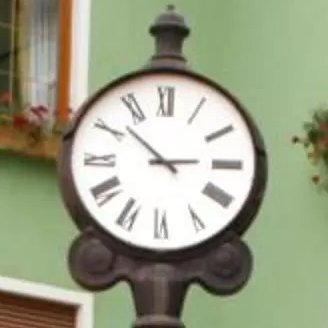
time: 2:52
